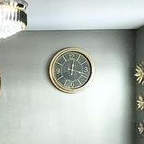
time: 12:18
